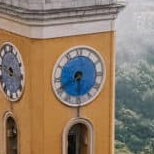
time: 5:40
